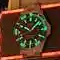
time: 10:07
